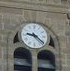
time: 9:22
